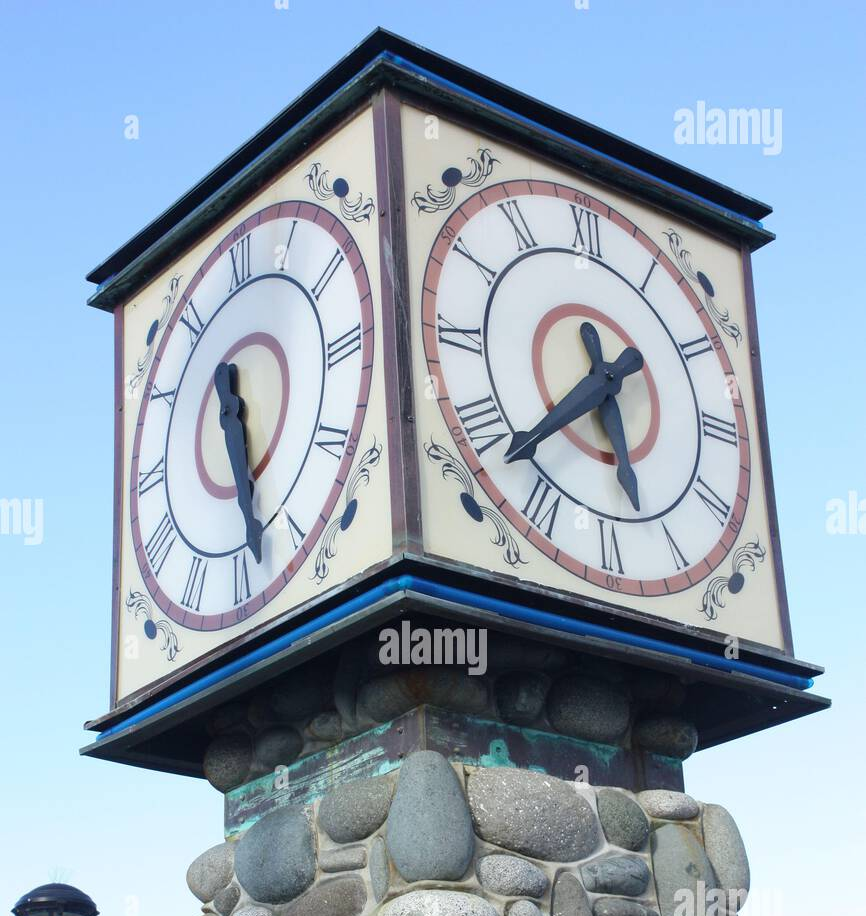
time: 5:38
